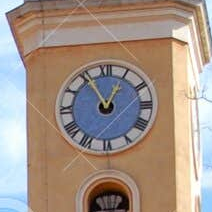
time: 12:55
